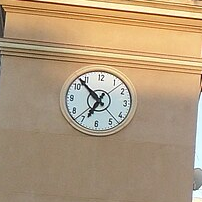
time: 6:52
